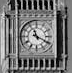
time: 11:19
